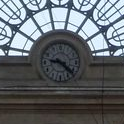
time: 9:22
